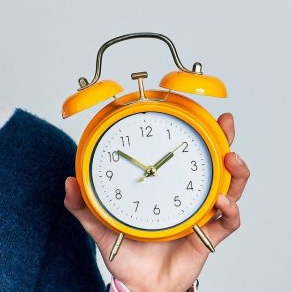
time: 1:51
